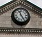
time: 11:25
